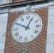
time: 12:49
